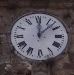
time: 12:07
